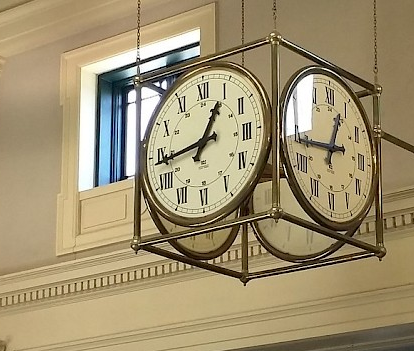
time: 12:43
